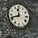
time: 11:41
